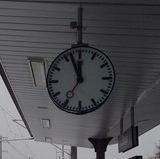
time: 11:56
